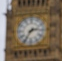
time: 2:35
